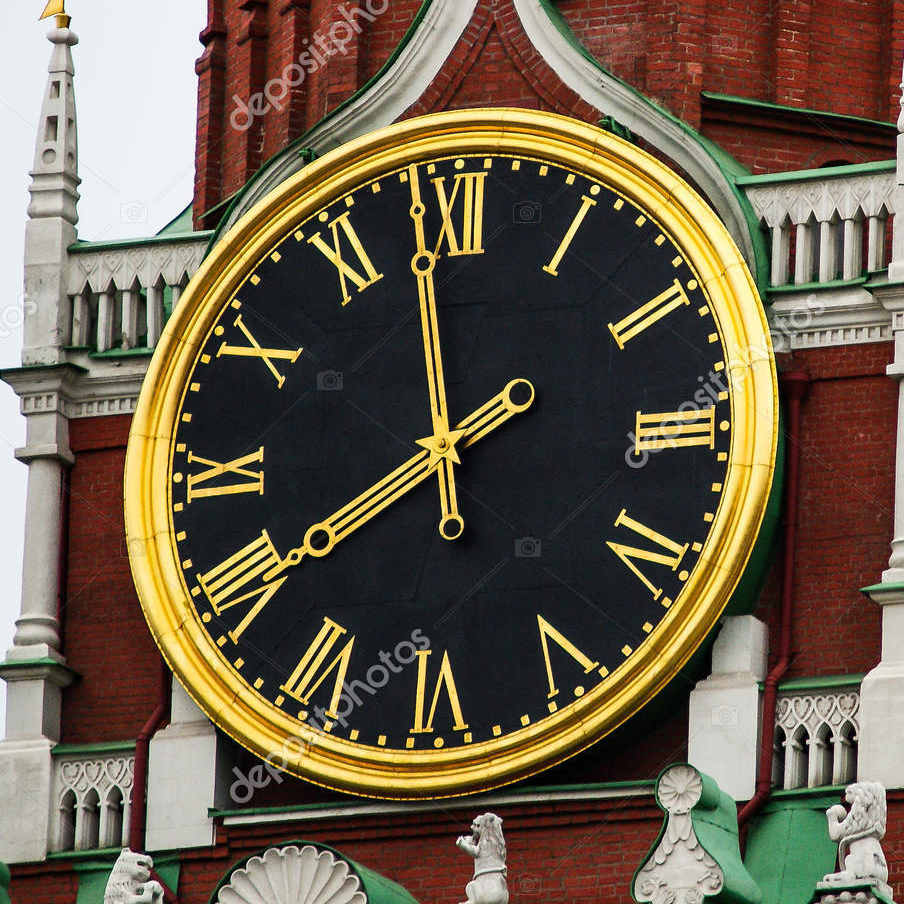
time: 7:58
